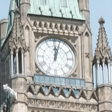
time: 12:02
